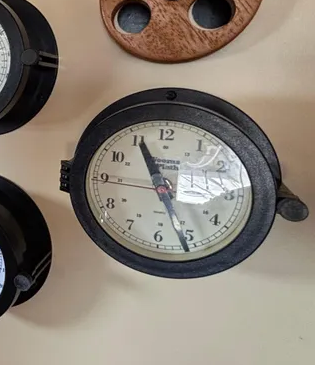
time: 10:55
